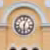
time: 6:03
